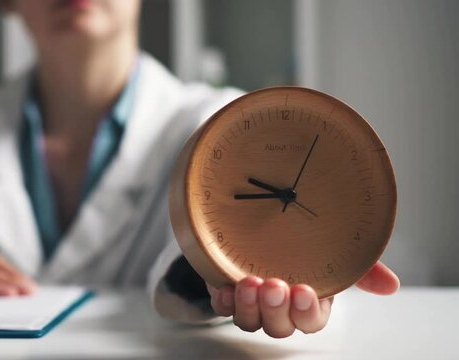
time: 9:44
